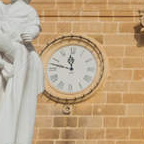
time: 11:47
